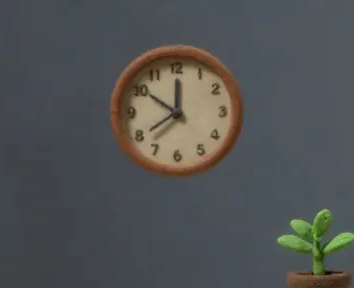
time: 11:50
